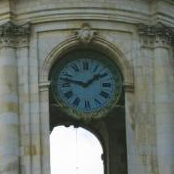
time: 1:47
